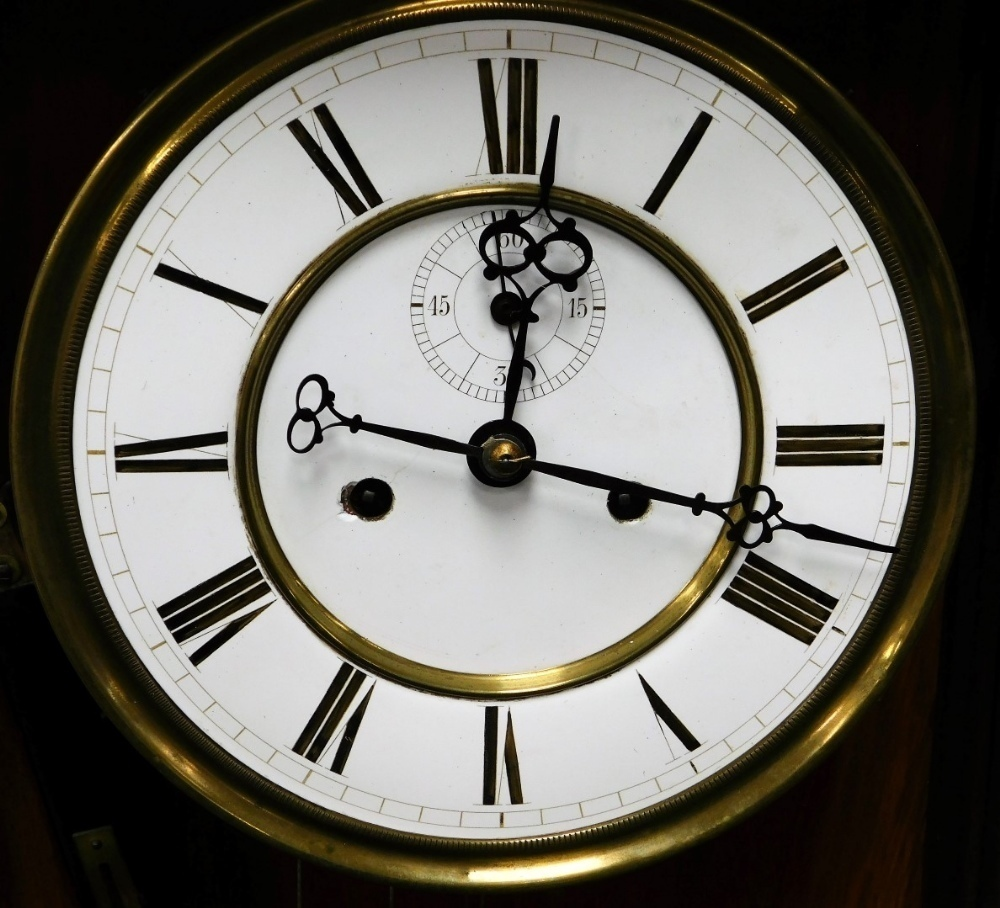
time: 12:17
